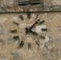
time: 4:07
